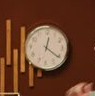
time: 12:20
